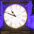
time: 10:48
